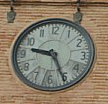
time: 9:25
